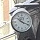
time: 10:18
